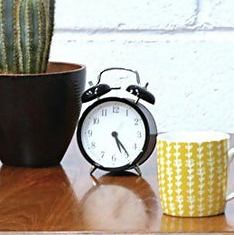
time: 5:23
